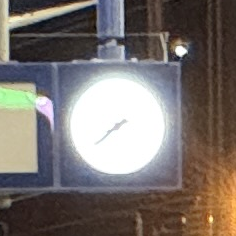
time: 7:38
